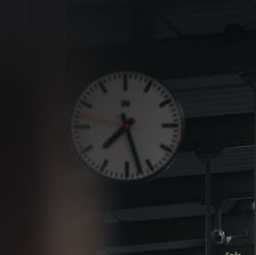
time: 7:27
